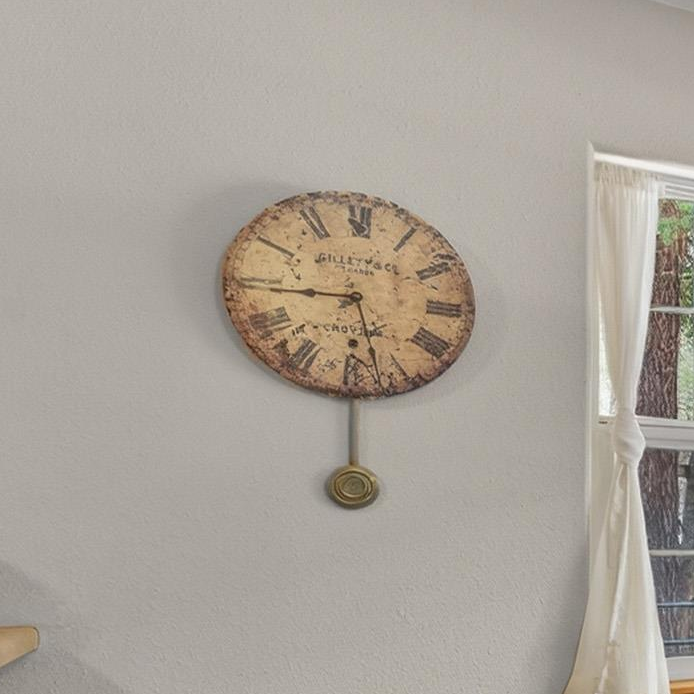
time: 5:44
